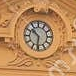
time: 10:31
